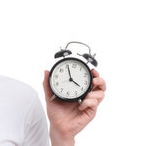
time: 3:56
